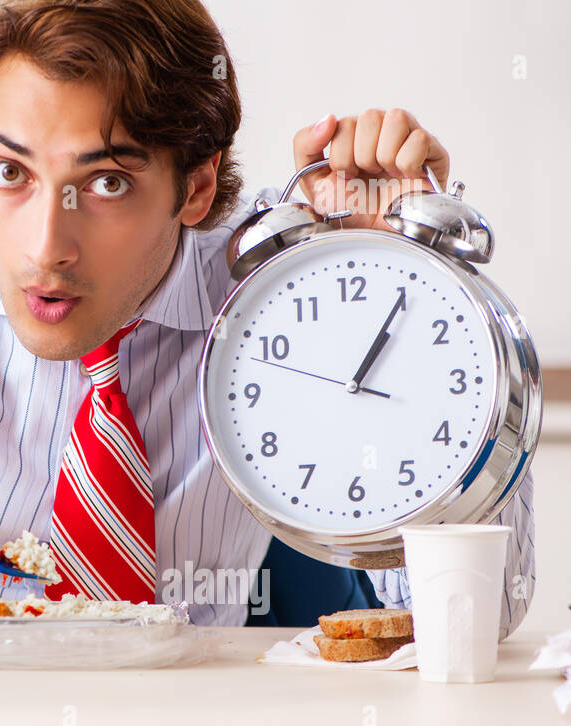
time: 1:05
